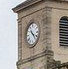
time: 4:23
